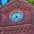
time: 7:24
